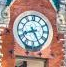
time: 8:25
